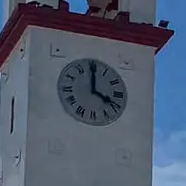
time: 4:00
